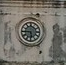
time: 5:45
